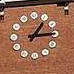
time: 1:14
